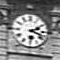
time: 2:18
